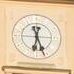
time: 6:26
